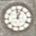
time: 12:04
